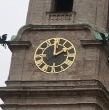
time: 2:00
